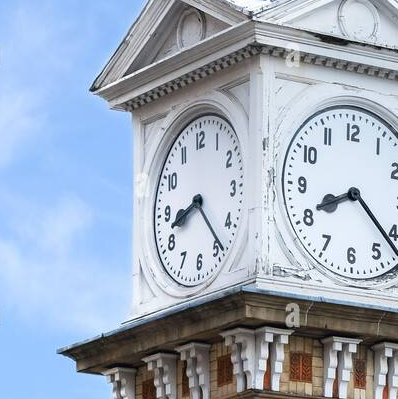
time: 8:23
